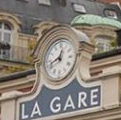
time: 12:41
